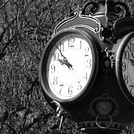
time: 9:53
